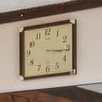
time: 3:16
